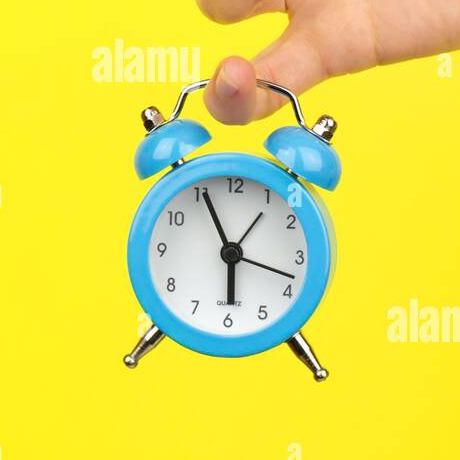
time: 5:55
